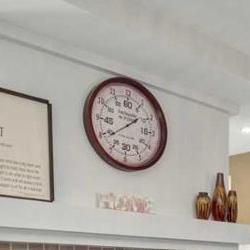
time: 1:38
